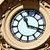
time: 11:17
